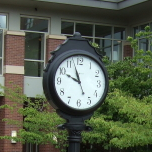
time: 9:57
